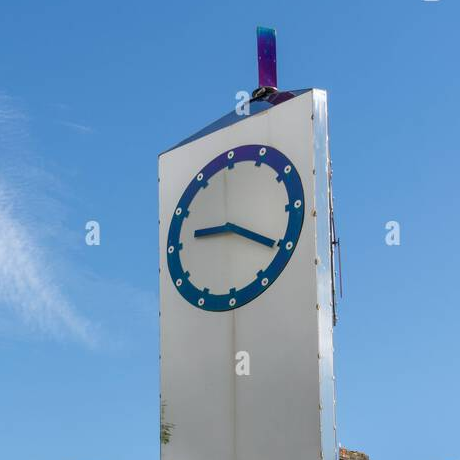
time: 9:20
